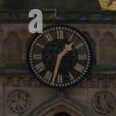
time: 1:32
